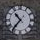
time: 10:36
